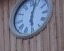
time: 6:03
